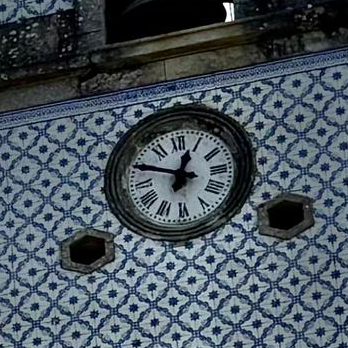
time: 12:49
